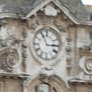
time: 2:56
